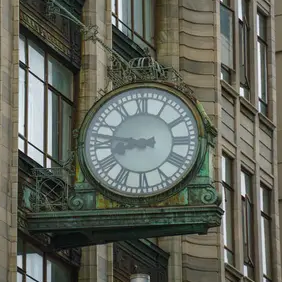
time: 8:46
